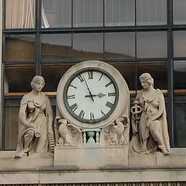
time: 2:56
